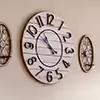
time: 10:49
